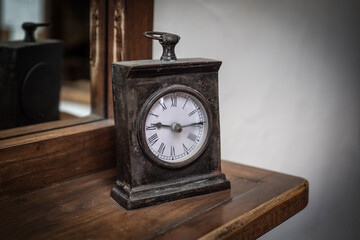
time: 9:14
